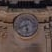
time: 5:40
